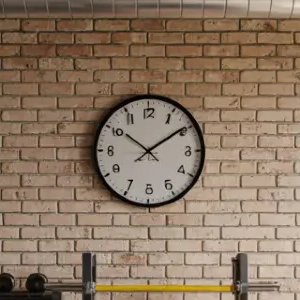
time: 10:09
